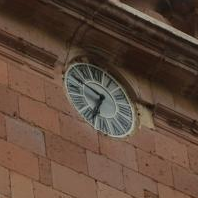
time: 6:49
